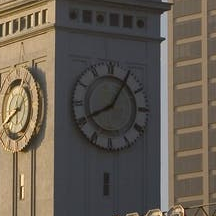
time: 8:05
